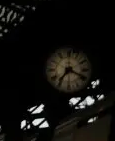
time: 7:19
